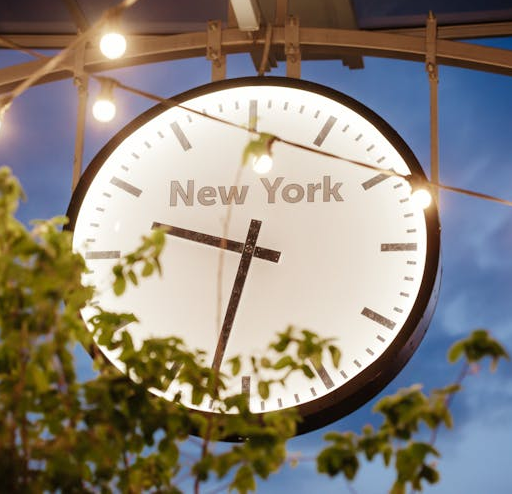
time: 9:32
